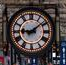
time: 9:08
